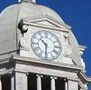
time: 10:30
